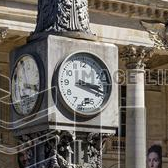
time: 3:18
